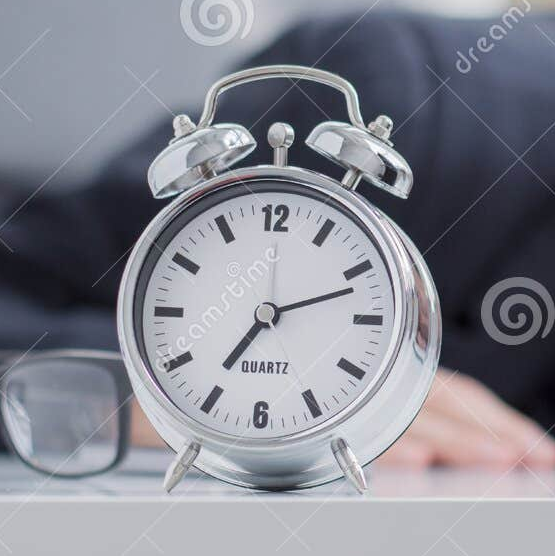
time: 7:12
